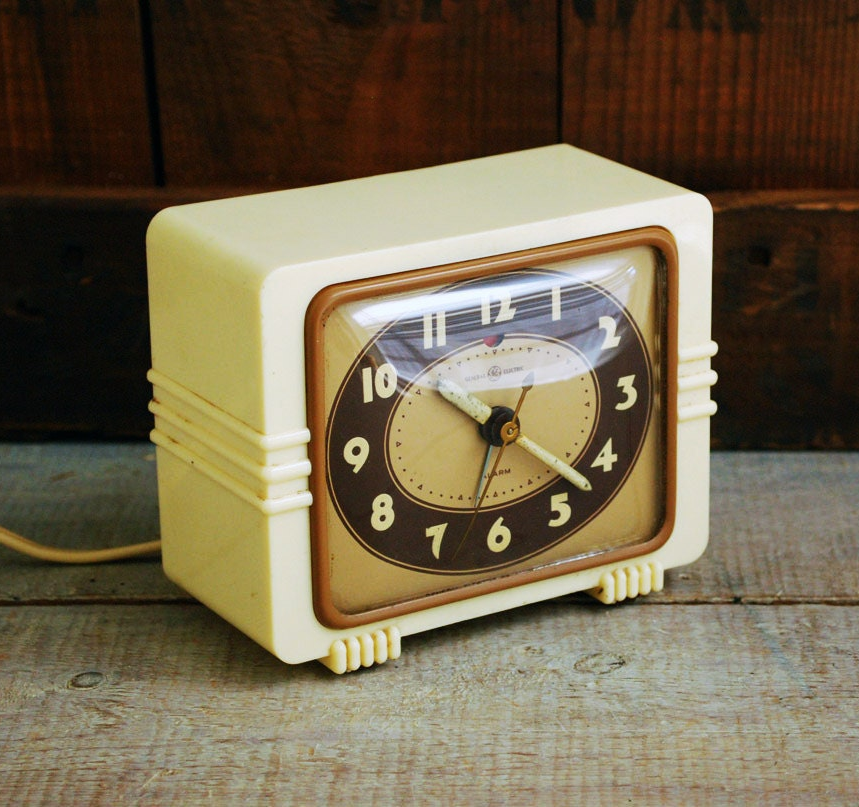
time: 6:52
